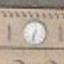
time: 6:32
